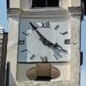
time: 3:54
